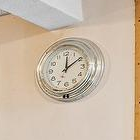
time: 12:09
